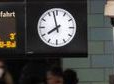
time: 7:57
